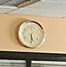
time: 5:30
